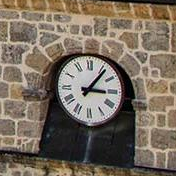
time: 3:06
